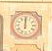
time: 12:00
